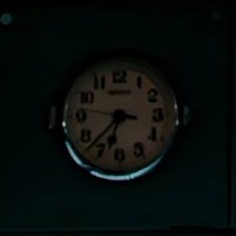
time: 6:37
